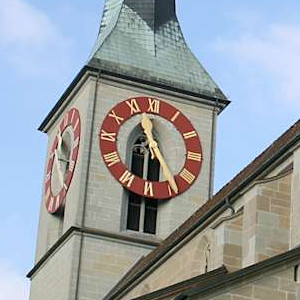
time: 11:29
